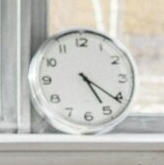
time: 5:21
